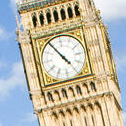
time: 4:54
